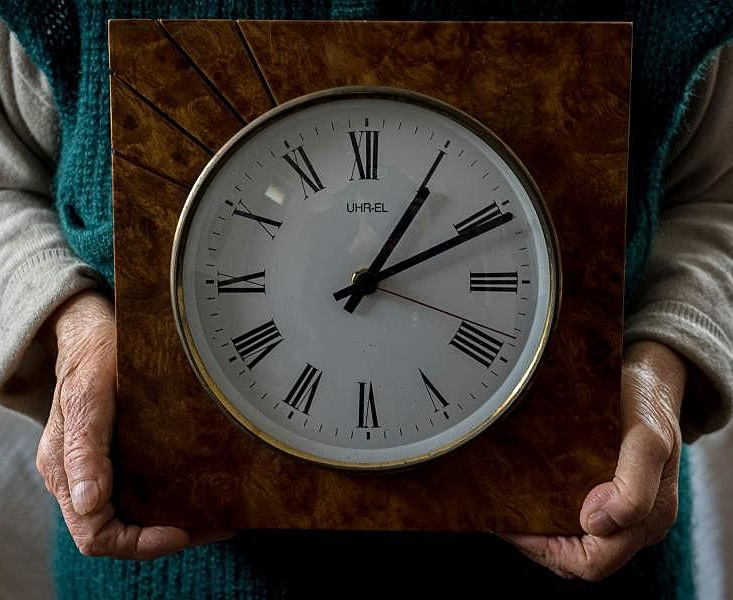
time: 1:10
